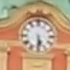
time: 5:30
